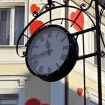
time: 11:42
